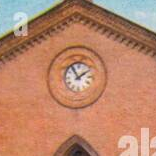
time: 1:54
